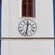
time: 12:32
